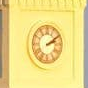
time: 2:09
